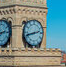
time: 2:42
